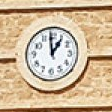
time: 12:58
